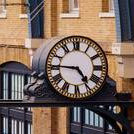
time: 4:45
